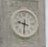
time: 9:31
